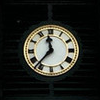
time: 11:36
